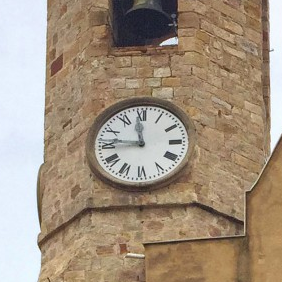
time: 11:46
